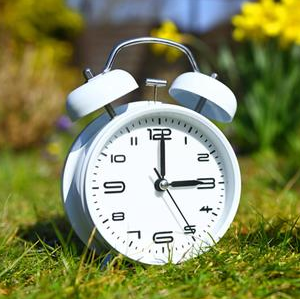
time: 3:00
